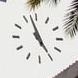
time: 4:57
